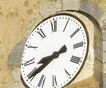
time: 8:39
